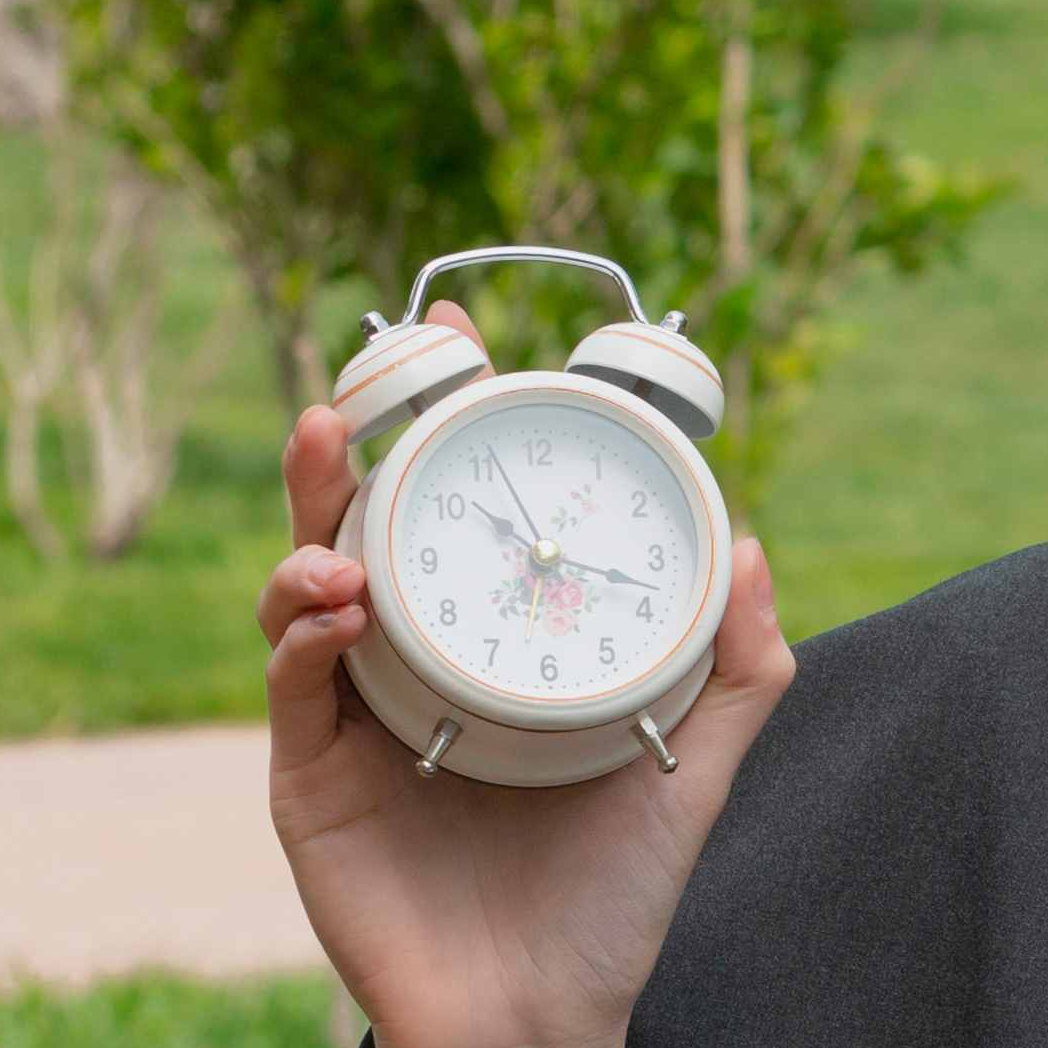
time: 10:17
